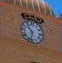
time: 10:32
